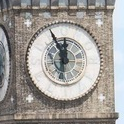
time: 11:55
